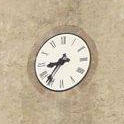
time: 8:36
